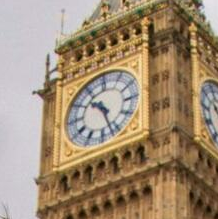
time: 10:26
